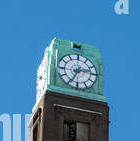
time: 2:34
